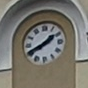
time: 1:40
